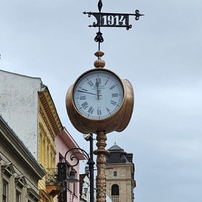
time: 11:48
